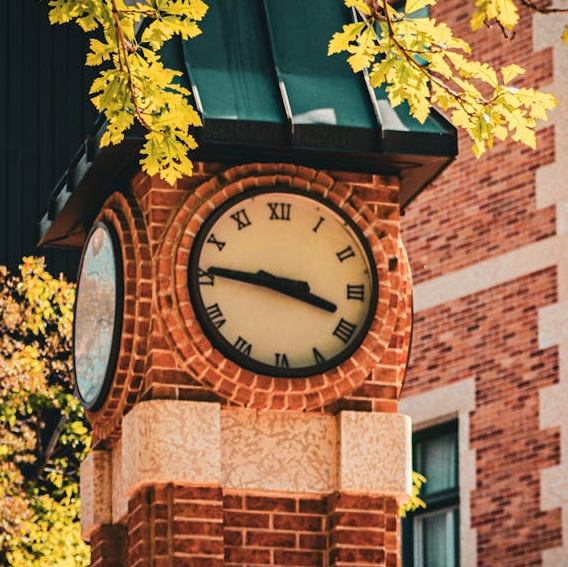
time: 3:46
